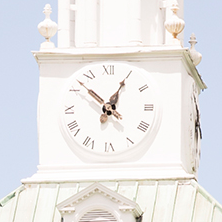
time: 12:52
